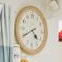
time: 4:40
